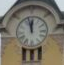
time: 11:57
